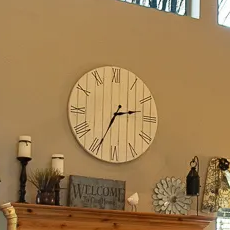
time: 2:34
